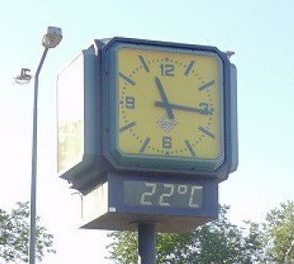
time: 11:15
